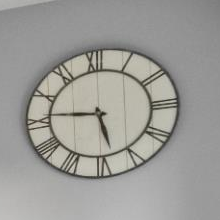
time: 5:46
